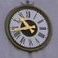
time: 10:42
